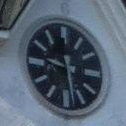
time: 9:28
